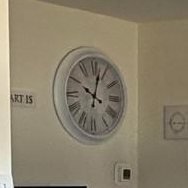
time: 10:02
